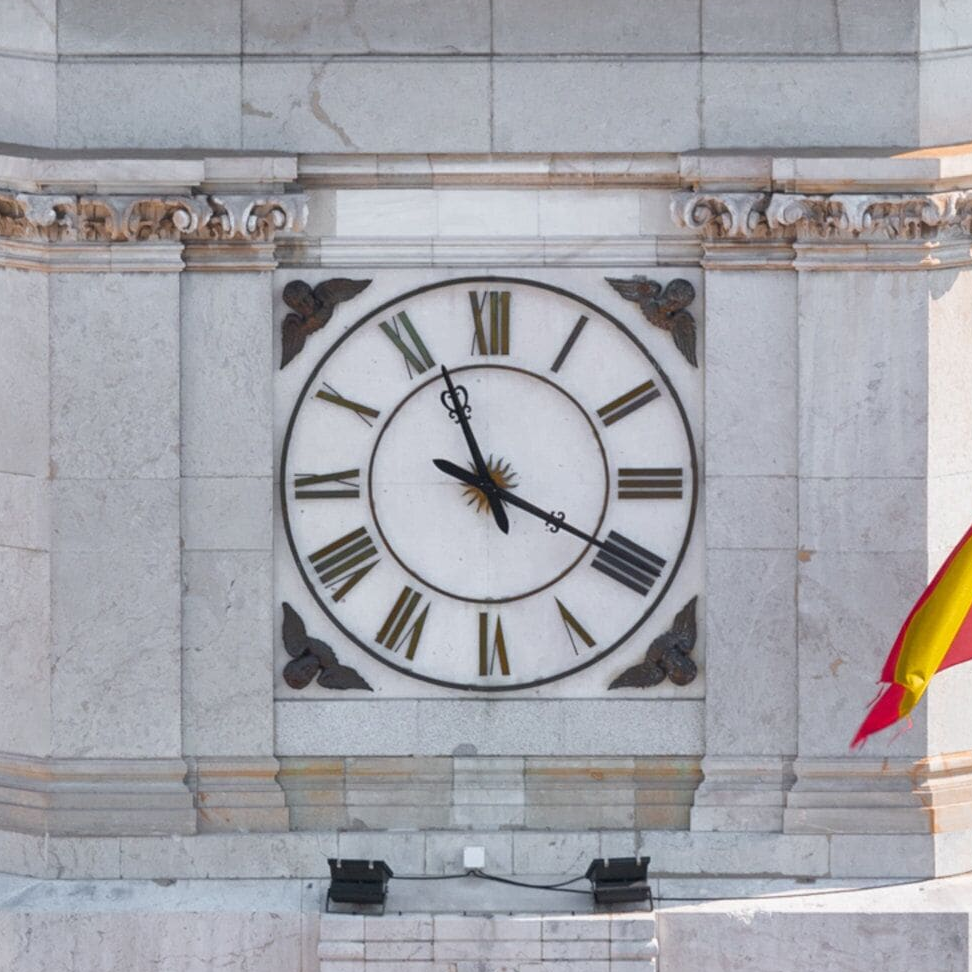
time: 11:19
